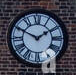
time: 1:49
